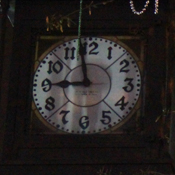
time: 8:58
